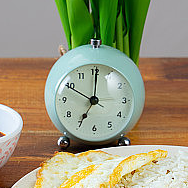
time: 7:00
